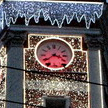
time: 3:38
